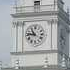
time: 10:45
